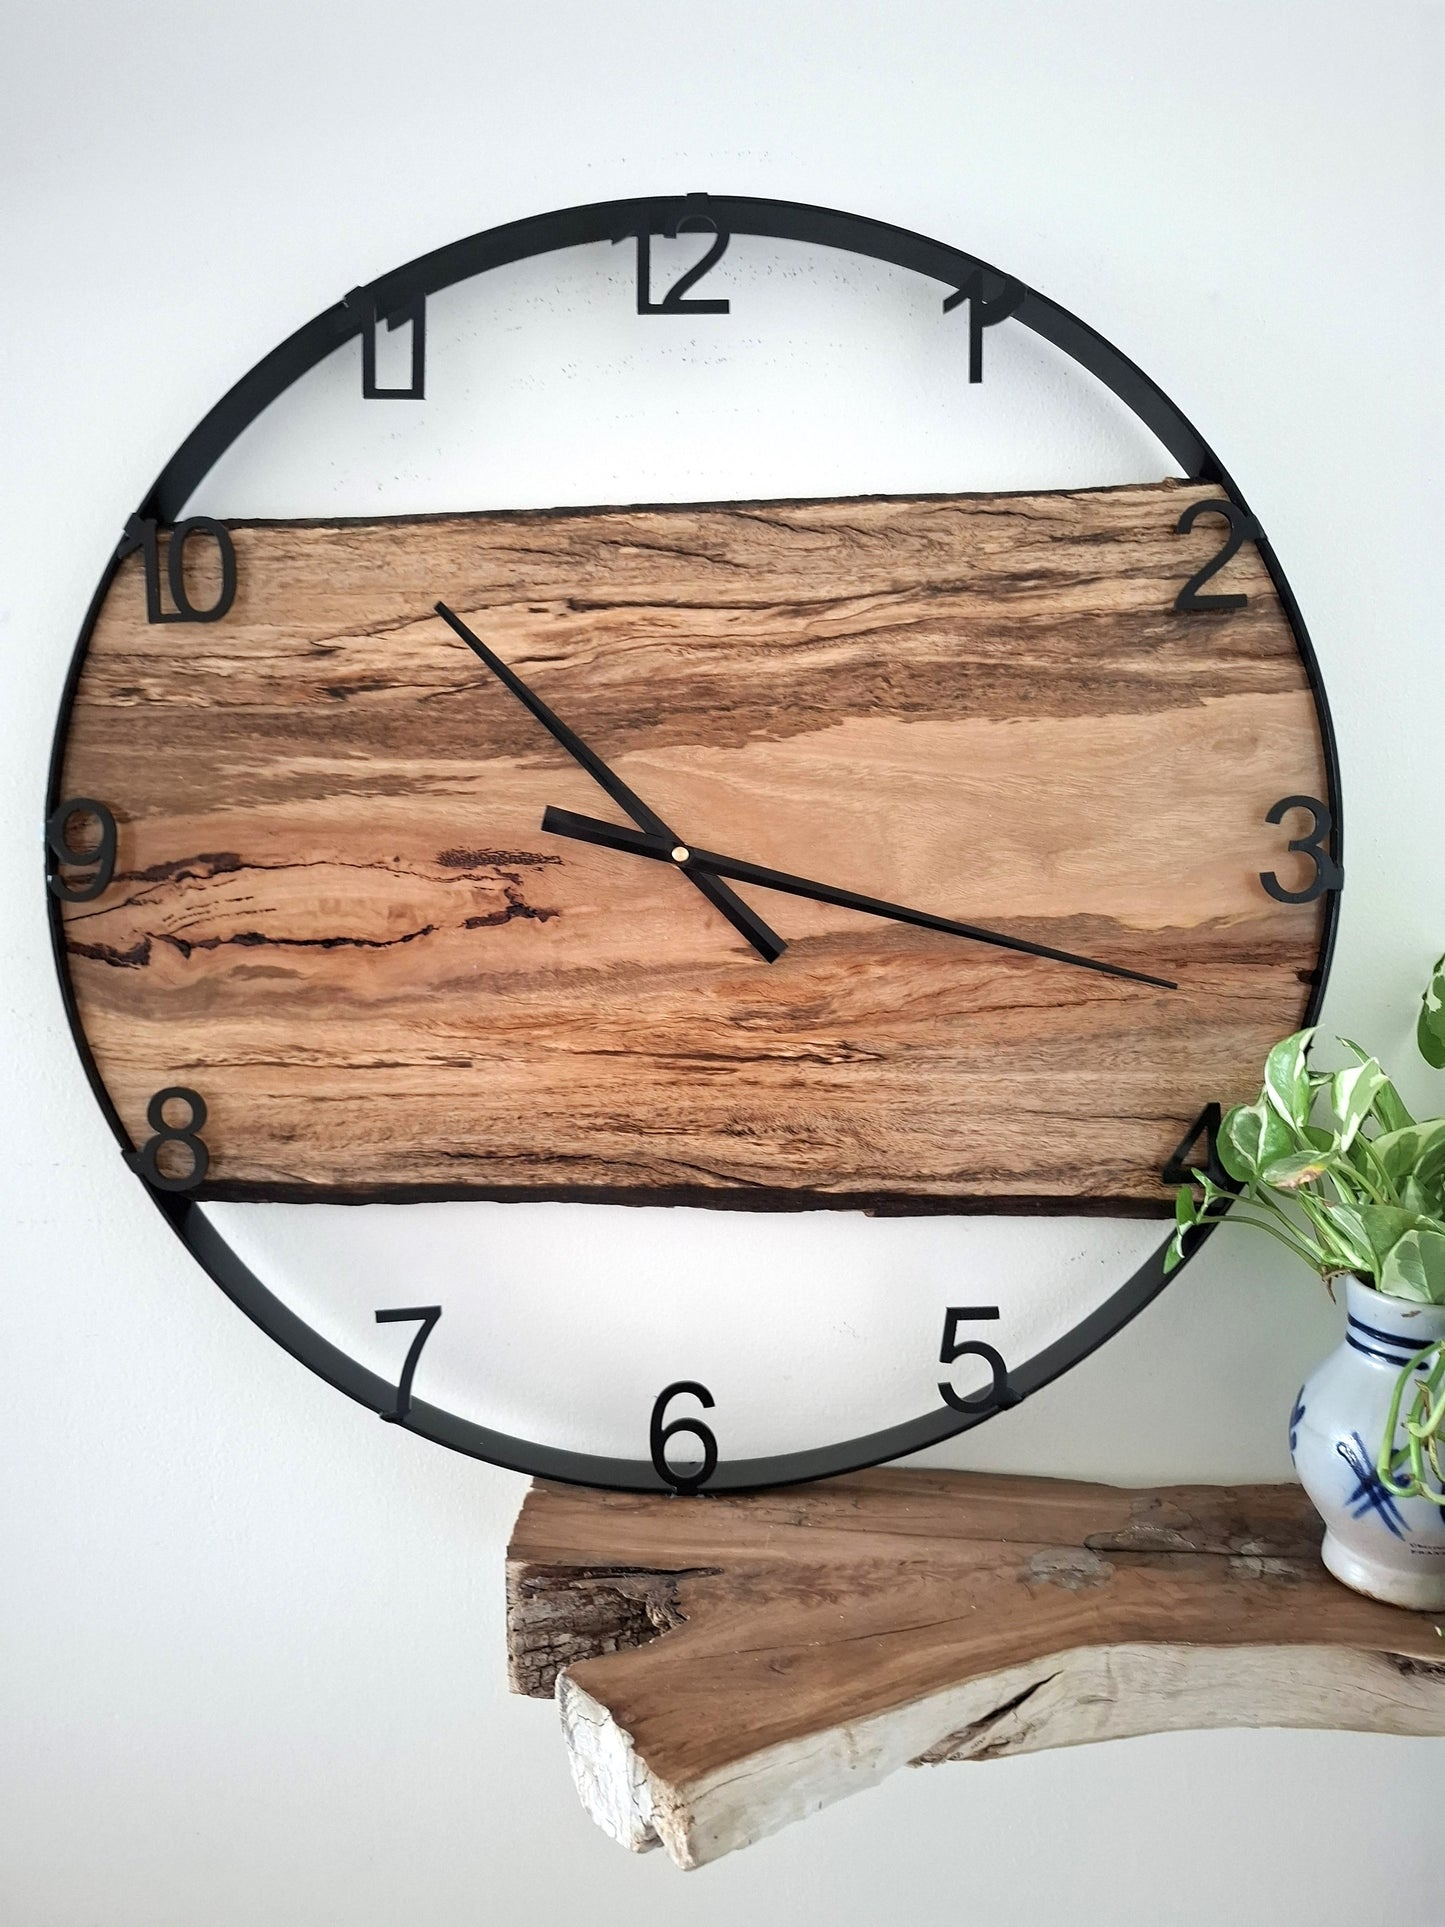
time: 3:53
